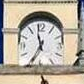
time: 11:34
